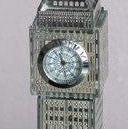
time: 11:28
